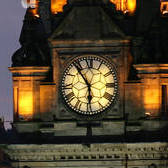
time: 5:54
